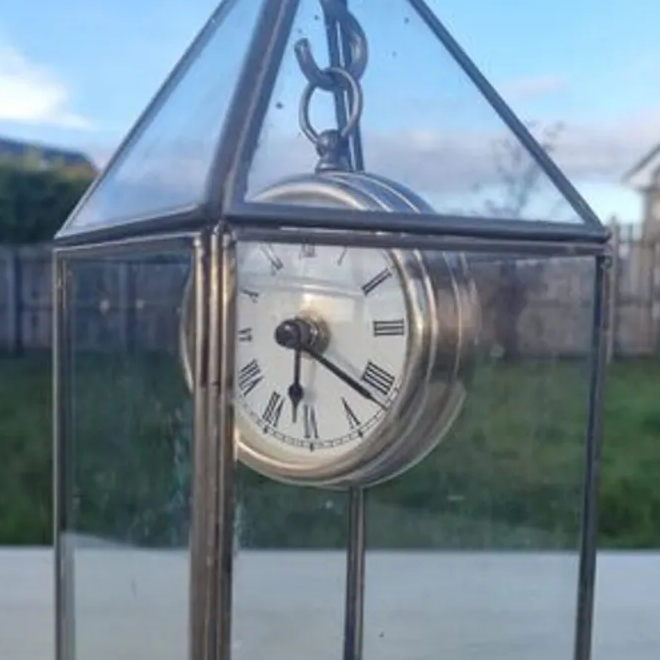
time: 6:21
